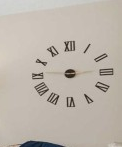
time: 2:46
